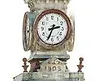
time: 2:34
